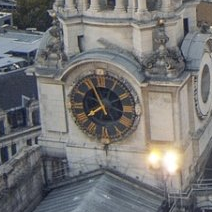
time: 7:56
